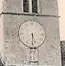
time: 5:30
